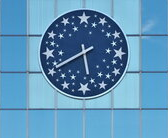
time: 5:40
